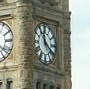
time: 11:21
